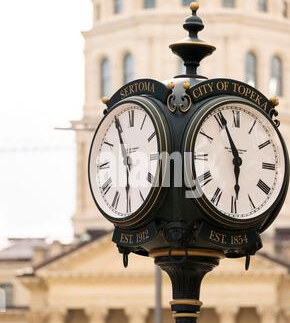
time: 5:55
